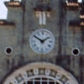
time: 1:50
